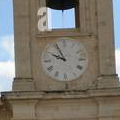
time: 9:55
